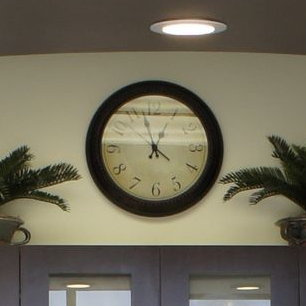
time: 12:57
